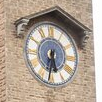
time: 5:32
